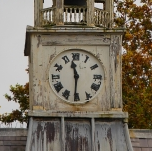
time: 11:30
